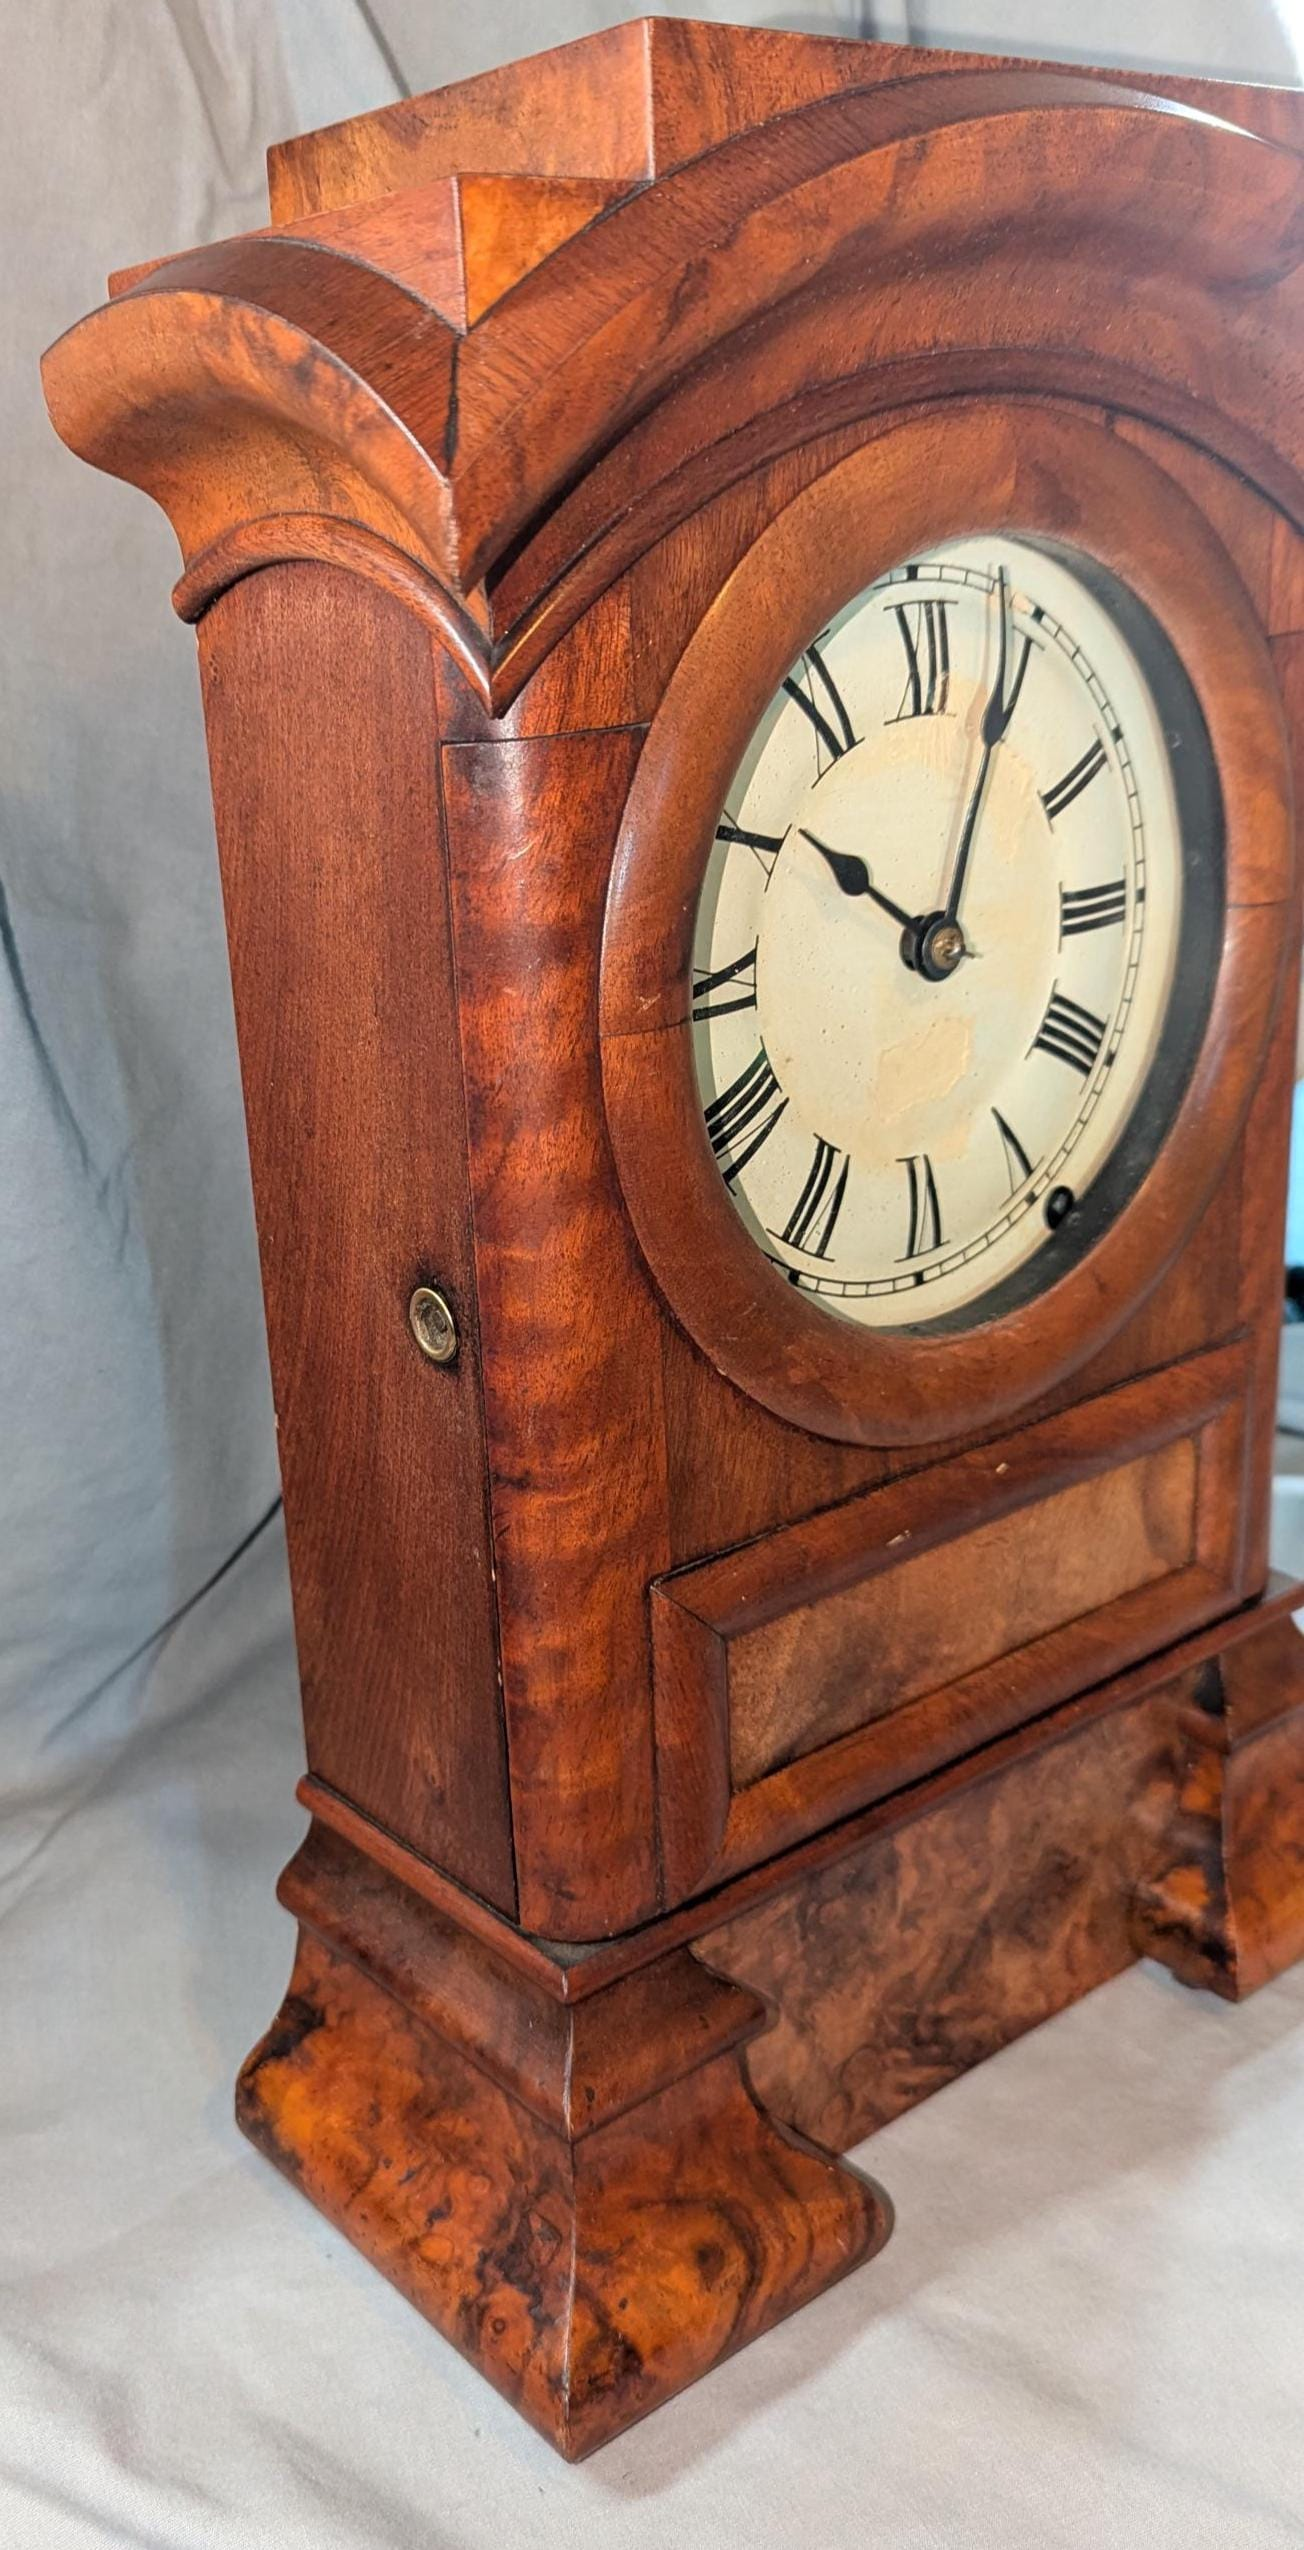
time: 10:04
